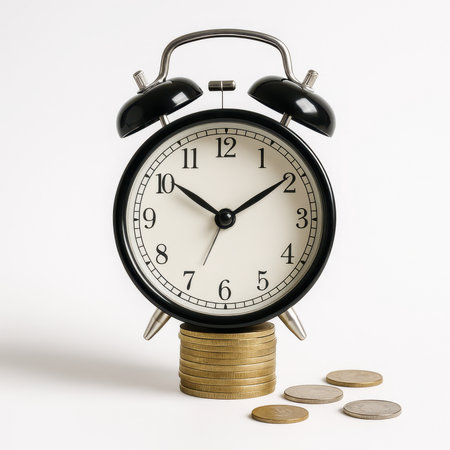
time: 10:09
